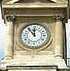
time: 11:53
